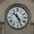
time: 10:26
